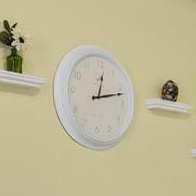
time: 12:12
